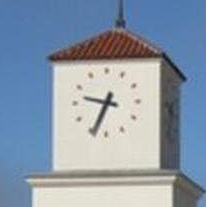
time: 9:34
